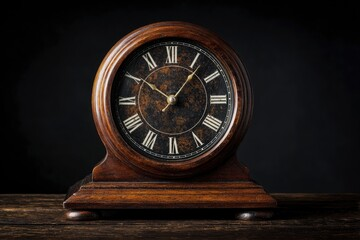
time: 10:06
